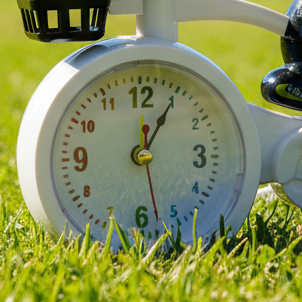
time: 12:04
